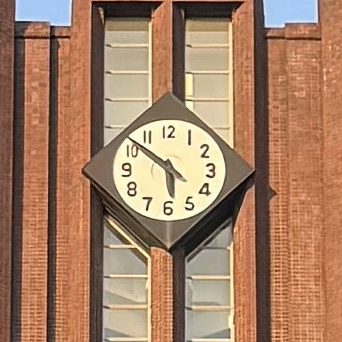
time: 5:51
